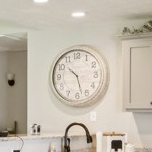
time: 10:27
